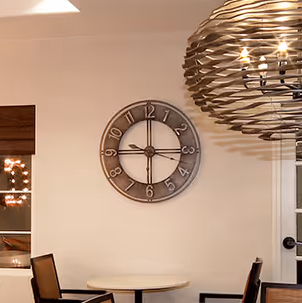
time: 9:15
